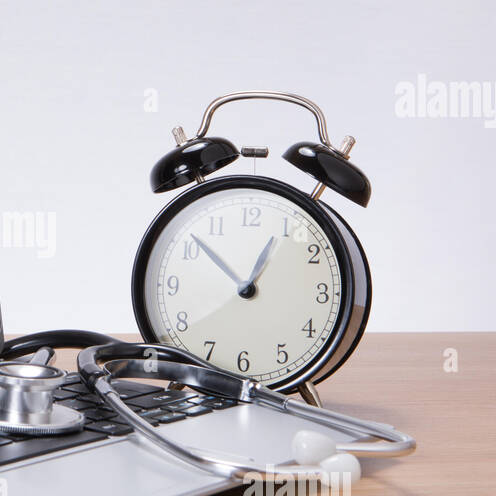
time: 12:52
